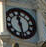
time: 11:28
